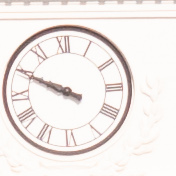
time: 9:49
